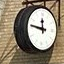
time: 11:46
